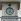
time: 4:03
